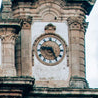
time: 9:25
